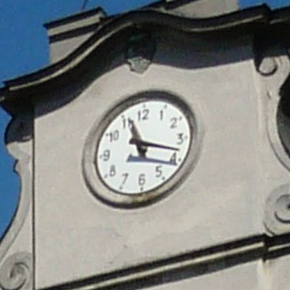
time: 11:18
